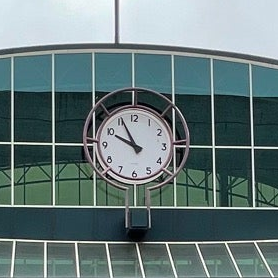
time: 9:55
